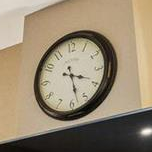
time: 3:27
